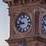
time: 9:43
